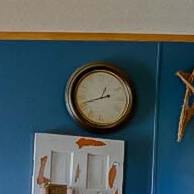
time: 12:42
